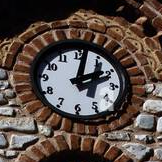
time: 2:01
